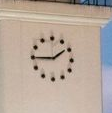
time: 1:45
